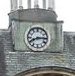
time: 8:15
